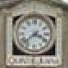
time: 3:38
